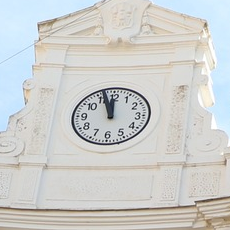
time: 11:56
